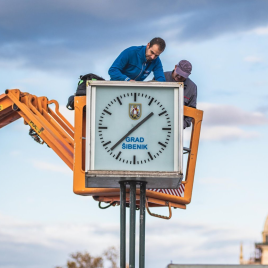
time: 1:37
